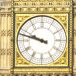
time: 9:47
